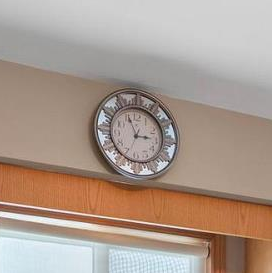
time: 2:56
